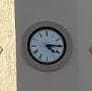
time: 4:14
